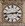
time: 2:43
